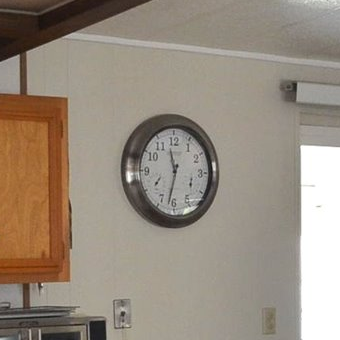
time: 11:32
